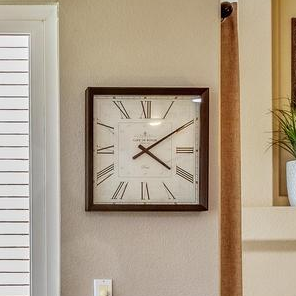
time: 4:09
